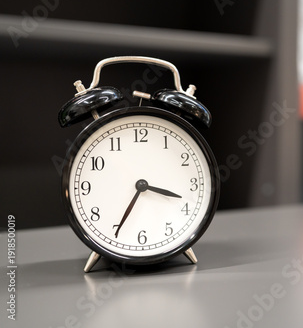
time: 3:34
